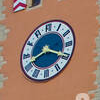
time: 8:19
